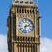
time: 2:32
